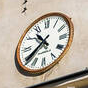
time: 10:39
